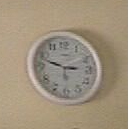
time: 2:48
